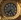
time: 7:25
